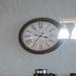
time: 3:35
